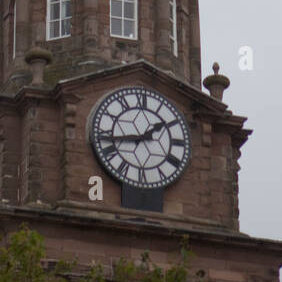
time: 1:43
